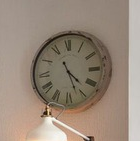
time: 4:26
